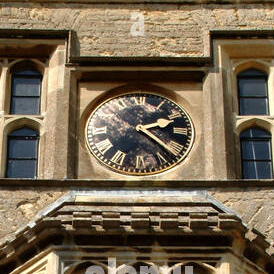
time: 2:21
